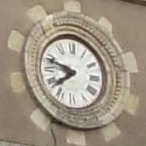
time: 7:47
